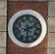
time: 2:29
